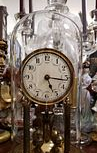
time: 5:16
